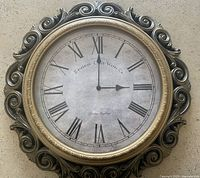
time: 3:00
